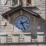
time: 2:26
